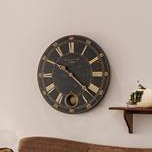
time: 4:21
